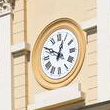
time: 12:49
